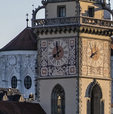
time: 7:59
